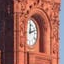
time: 12:12
